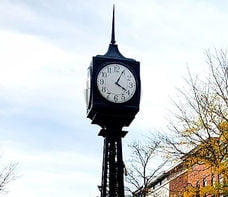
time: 4:04
